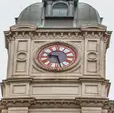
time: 9:27
